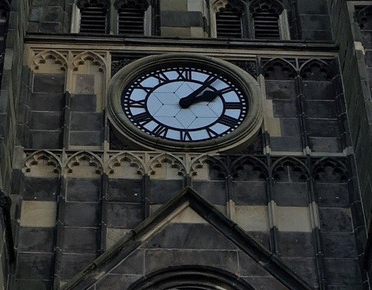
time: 2:06
